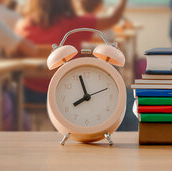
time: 7:57
